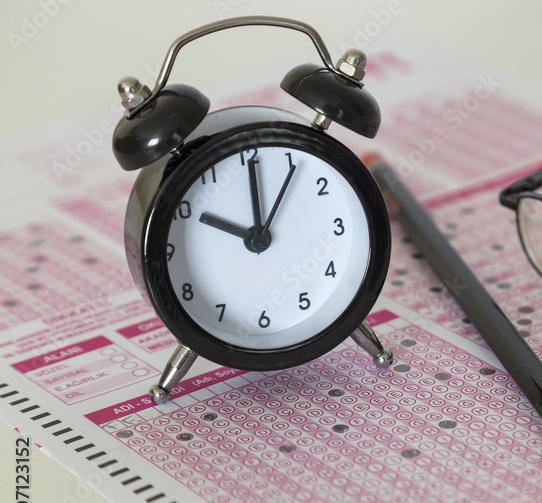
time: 10:00
